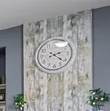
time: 2:21
